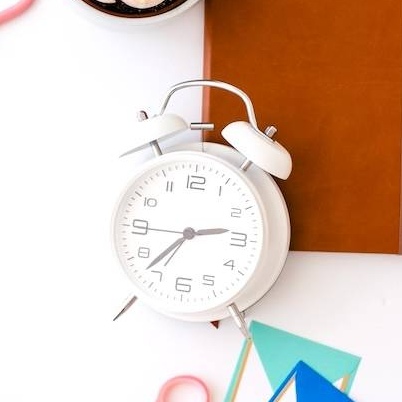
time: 2:37
